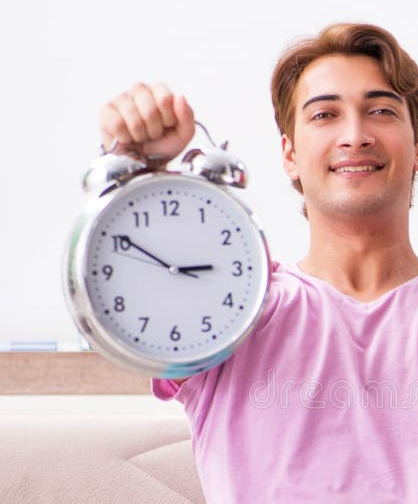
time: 2:50
